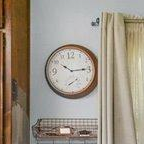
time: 10:14
